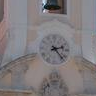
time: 2:23
